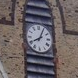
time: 8:04
